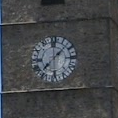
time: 1:37
